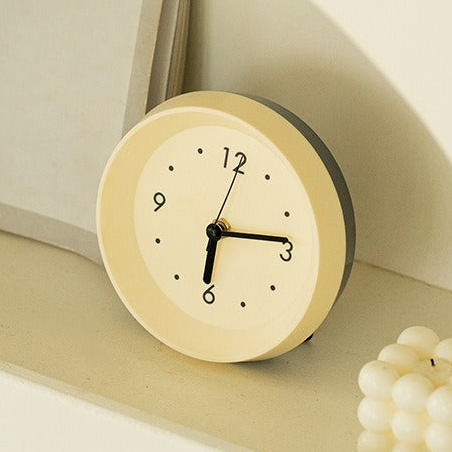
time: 6:13
